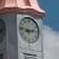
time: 9:12
